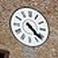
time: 4:21
